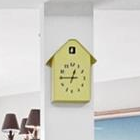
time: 12:44
